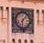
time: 6:06
